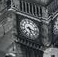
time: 5:17
